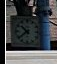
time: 10:38
